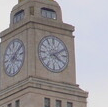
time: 4:09
